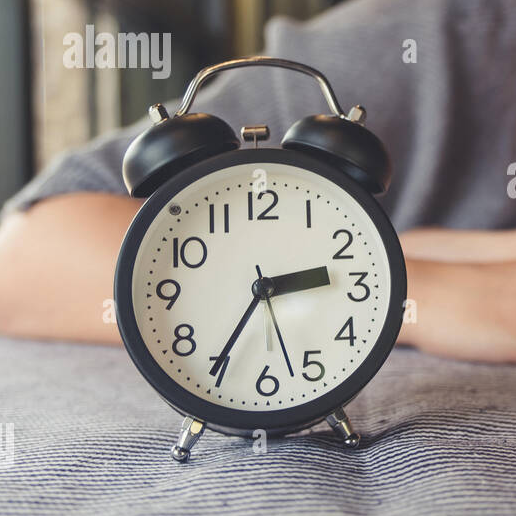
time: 2:35
